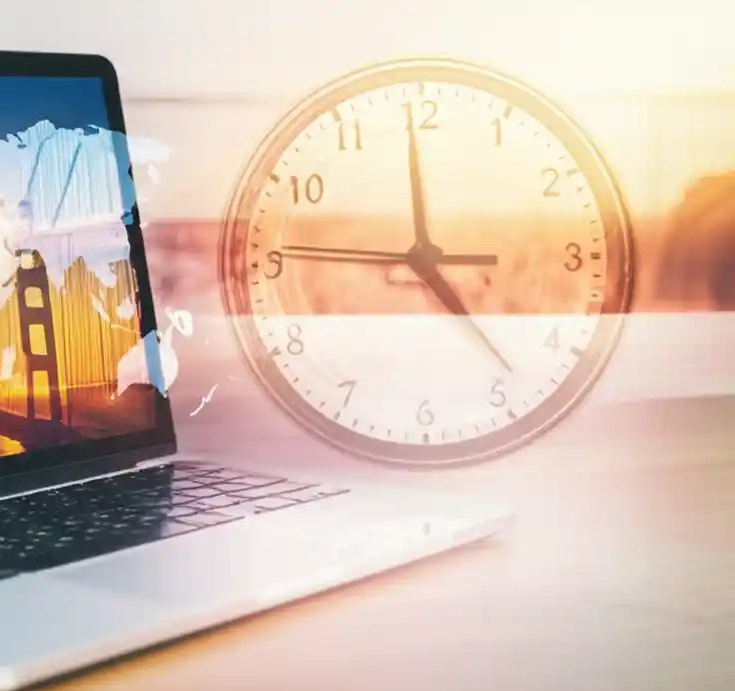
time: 4:45
